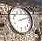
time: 2:11
